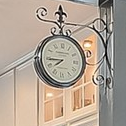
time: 7:44
